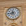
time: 11:43
